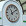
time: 11:09
